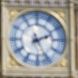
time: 2:25
